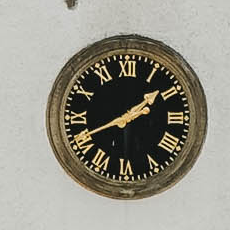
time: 1:41
